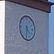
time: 4:31
